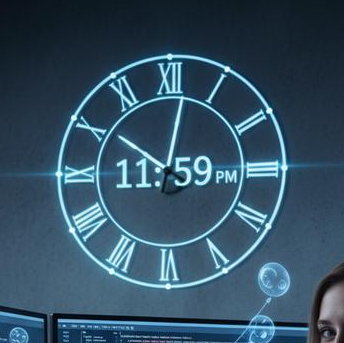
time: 10:02
